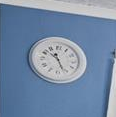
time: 10:26
